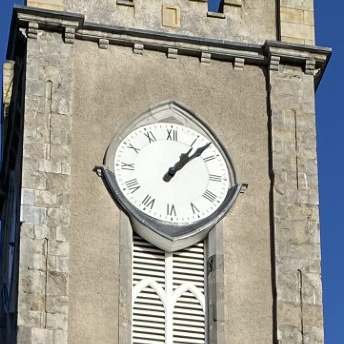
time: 1:07
